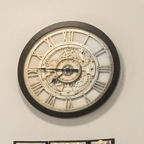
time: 7:46
